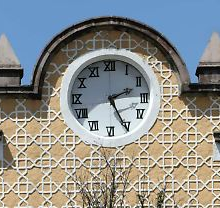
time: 2:25
